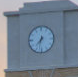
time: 7:32
